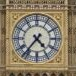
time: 4:36
